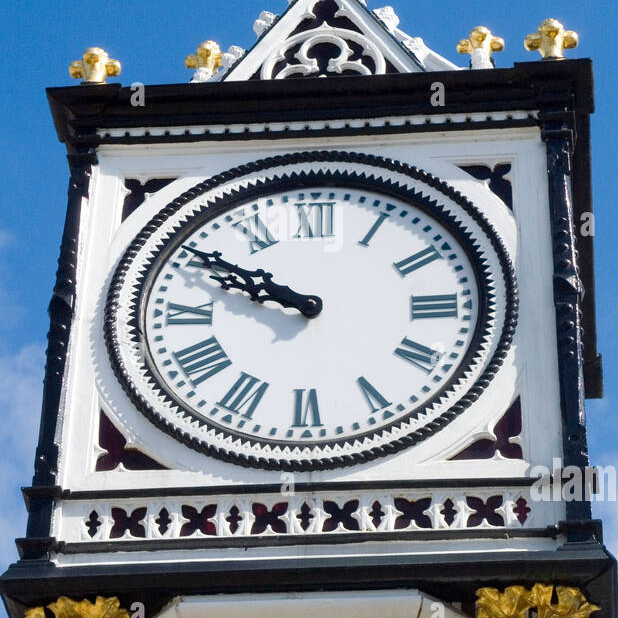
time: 9:50
